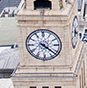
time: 4:21
